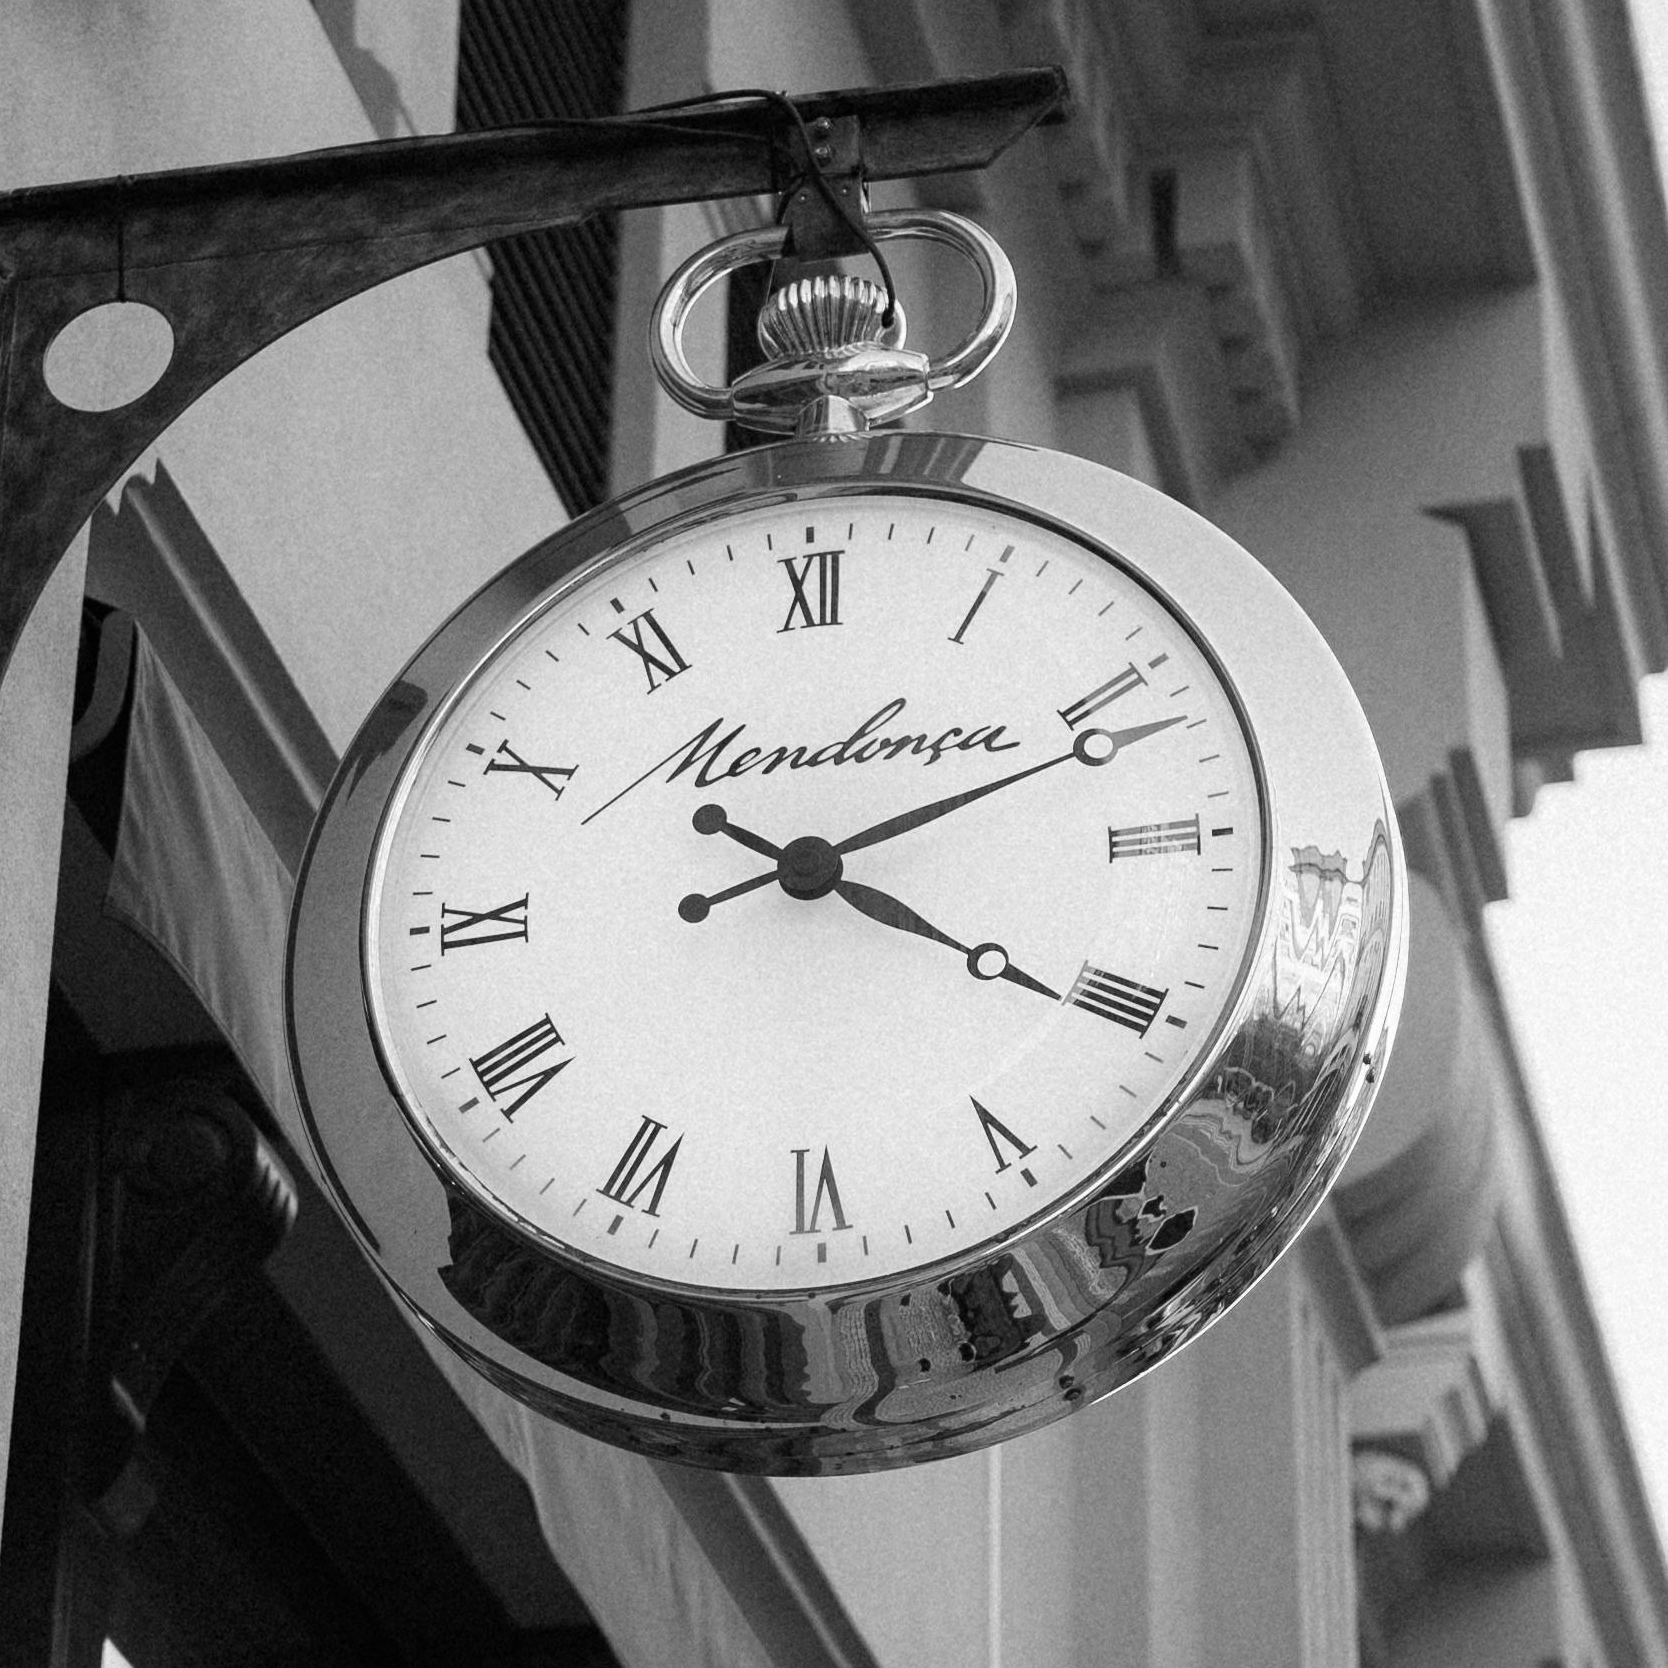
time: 2:20
